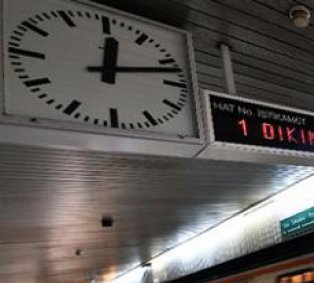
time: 12:12
